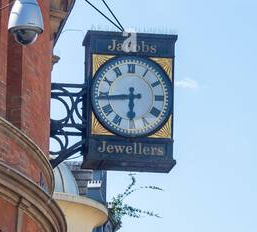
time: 5:44
